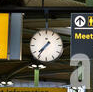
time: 7:36
